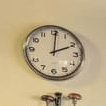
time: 2:00
